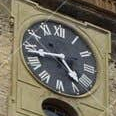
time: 4:43
